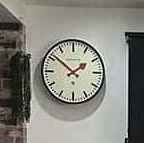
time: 1:51
